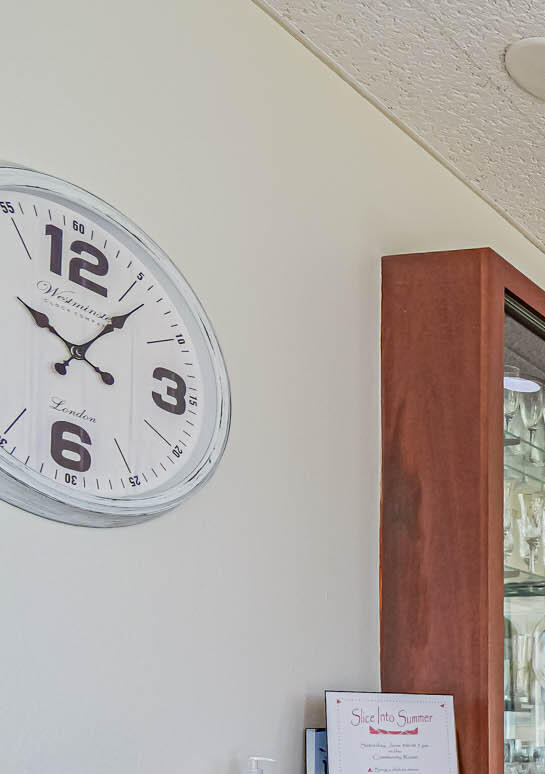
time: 10:06
